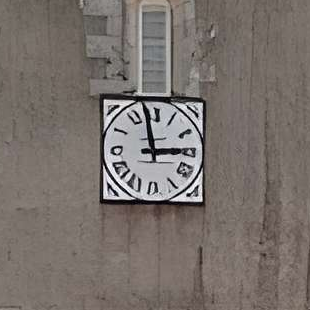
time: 2:58
